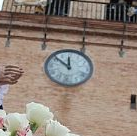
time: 11:51
